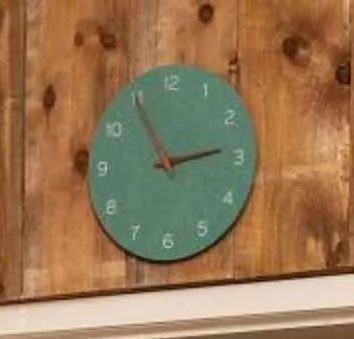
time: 2:54
